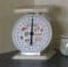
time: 6:00
